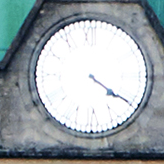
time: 4:20
